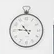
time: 10:46
